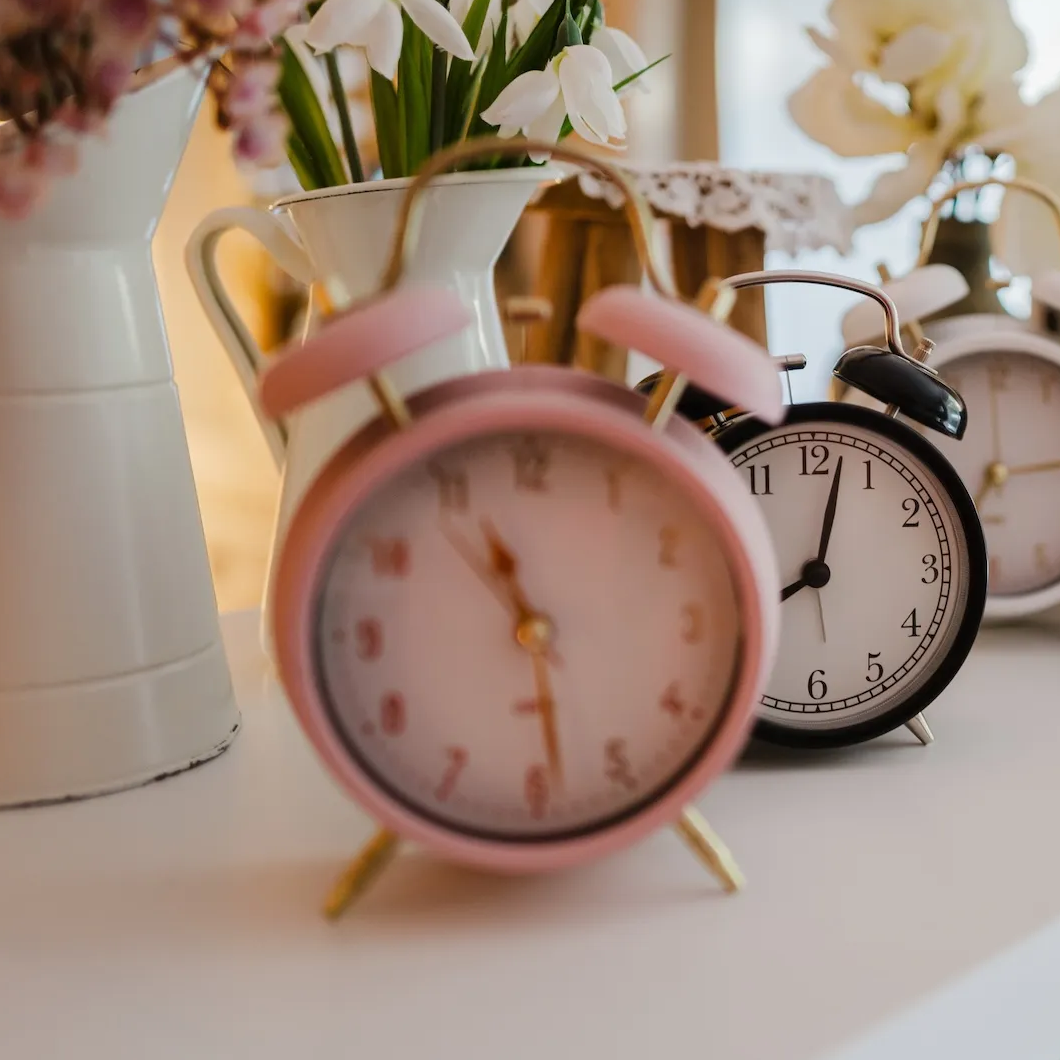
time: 11:28
